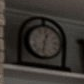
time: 12:32
